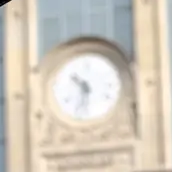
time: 10:32
